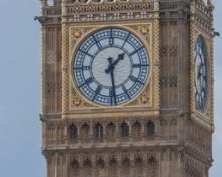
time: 1:28
